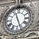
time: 11:26
